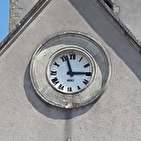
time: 2:57
